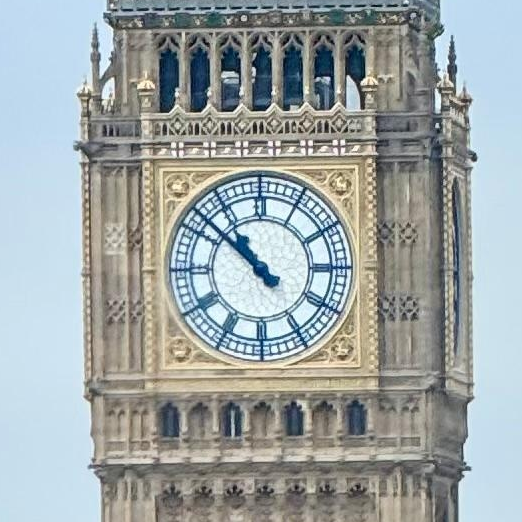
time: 10:51
